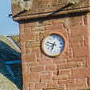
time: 6:47
